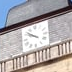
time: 9:51
